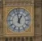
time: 12:58
